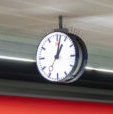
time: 1:02
